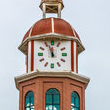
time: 11:56
